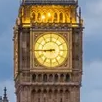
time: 8:44
